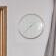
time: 1:37
